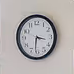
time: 3:31
